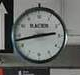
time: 2:42
